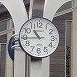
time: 10:44
